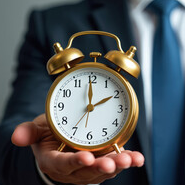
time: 1:59
